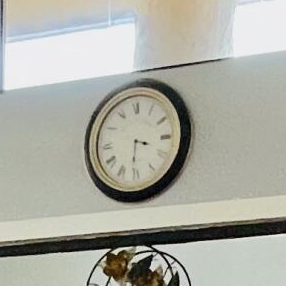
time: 3:31
